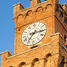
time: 7:15
